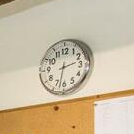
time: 2:32
